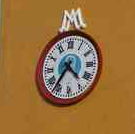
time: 4:36
